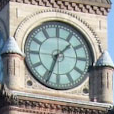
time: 1:33
